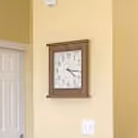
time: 4:16
